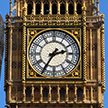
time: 2:35
